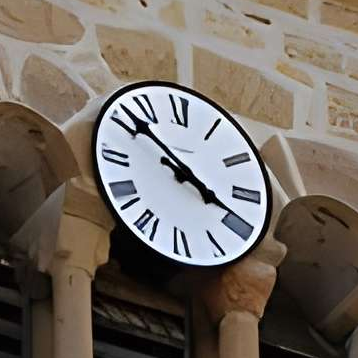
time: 3:51
